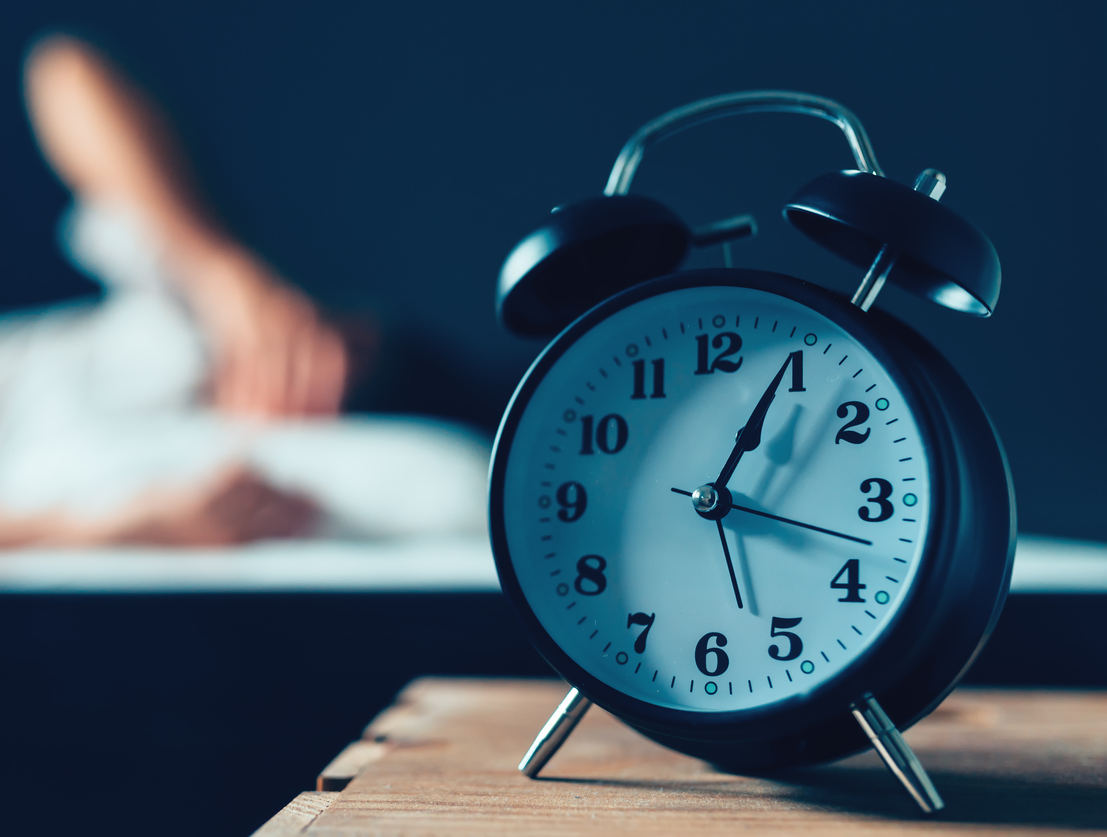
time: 1:04
